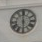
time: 5:59
